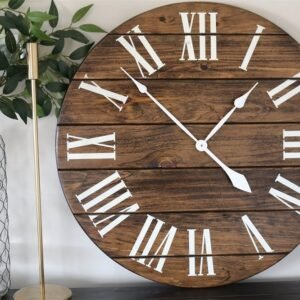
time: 1:22
